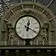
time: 12:19
